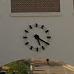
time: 5:20
